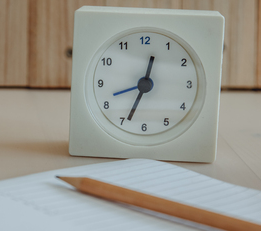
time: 12:33
